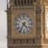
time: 4:35
